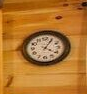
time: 4:05
